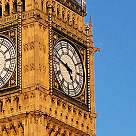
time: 4:47
